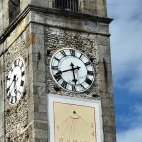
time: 5:41
